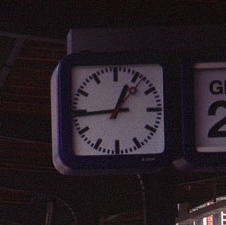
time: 12:44
